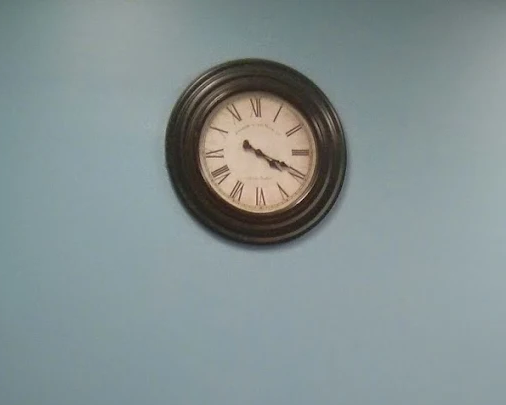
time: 4:19
